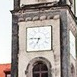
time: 6:46
